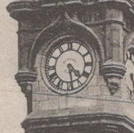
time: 4:28
